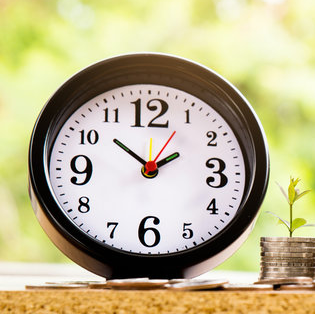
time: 1:51
